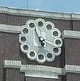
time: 11:18
